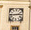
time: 2:44
